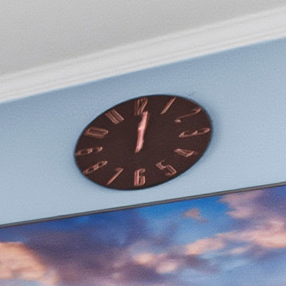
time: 12:01
